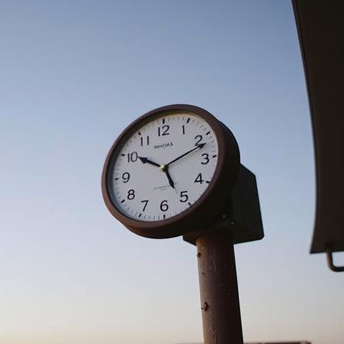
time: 10:11
